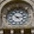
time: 2:52
